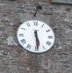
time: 5:29
